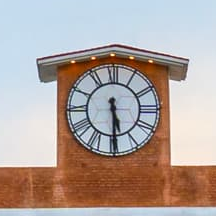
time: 5:29
